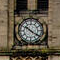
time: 10:20
